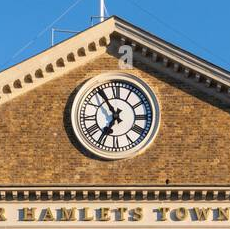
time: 6:54
